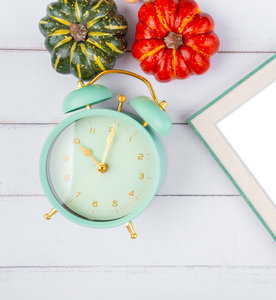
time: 10:00
